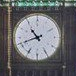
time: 10:41
